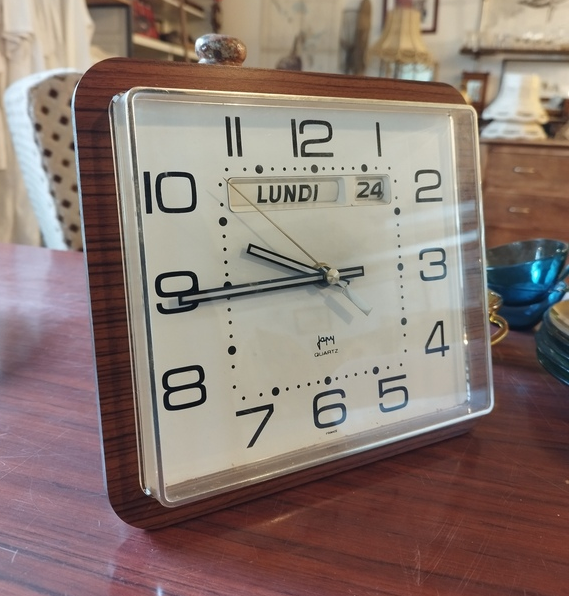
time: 9:44
